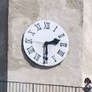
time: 2:29
